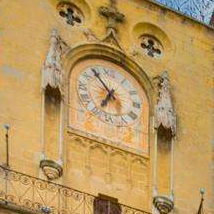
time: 6:54
